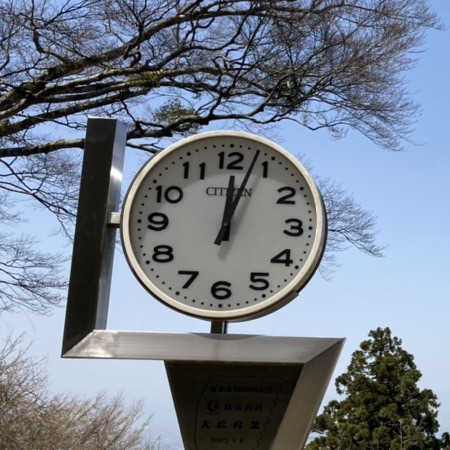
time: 12:03
